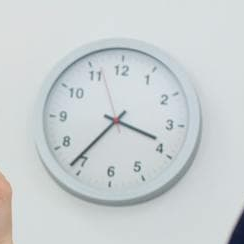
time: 3:36
